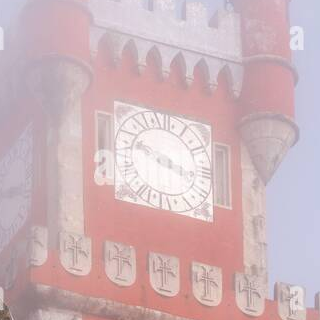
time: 3:48
